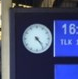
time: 4:23
